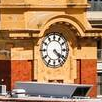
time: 4:20
